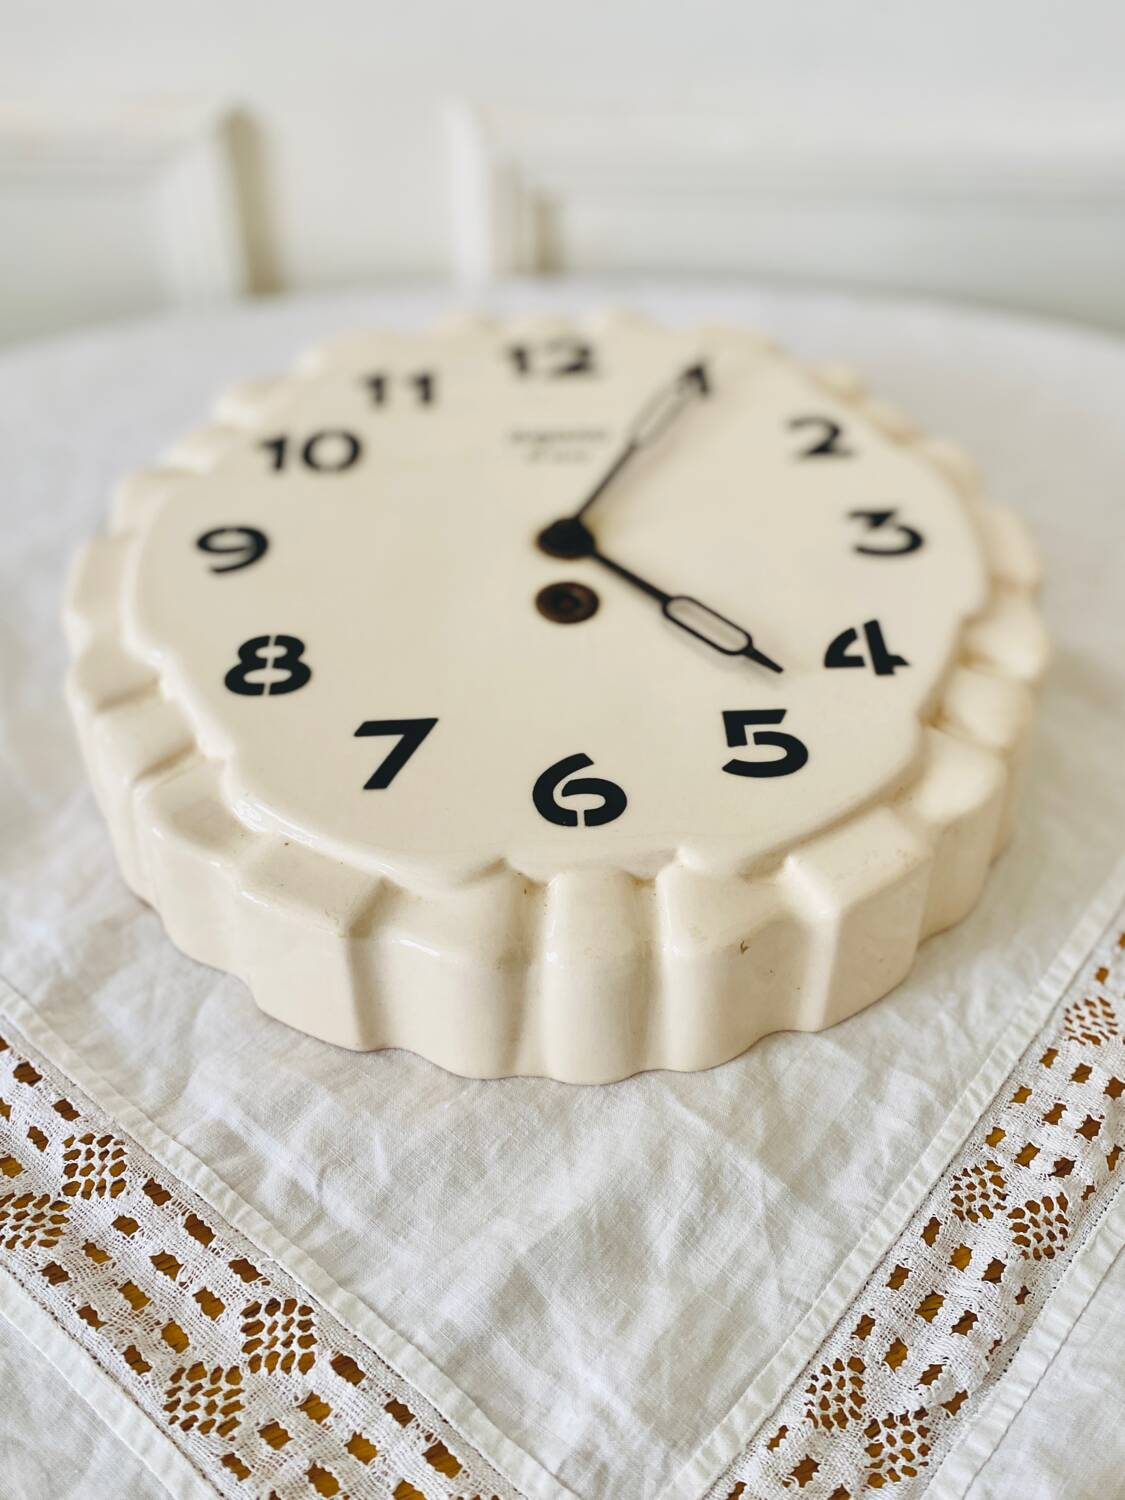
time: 4:04
